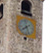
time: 7:27
